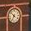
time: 6:52
